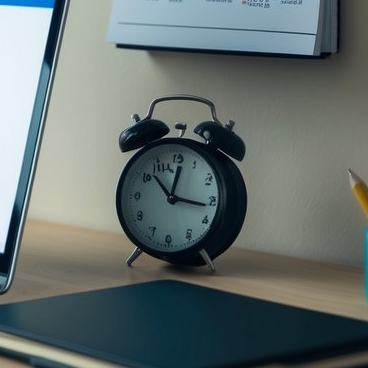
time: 12:16
